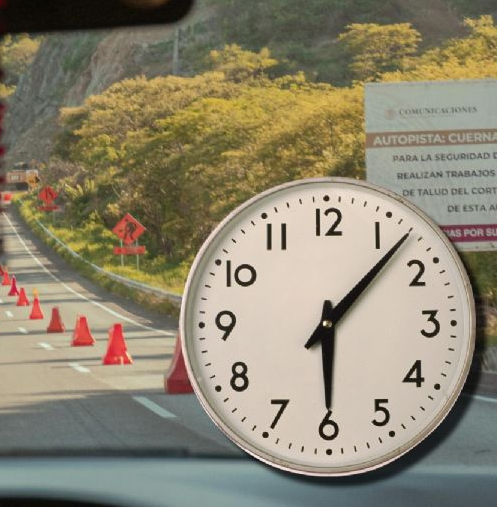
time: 6:07
